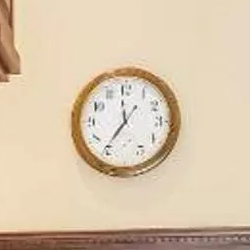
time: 11:35
